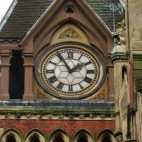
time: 1:55
